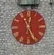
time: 12:26
